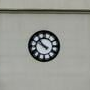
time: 9:53
